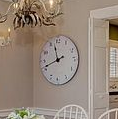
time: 11:41
